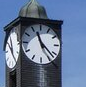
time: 11:22
